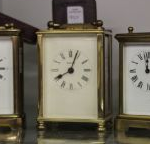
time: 8:04
